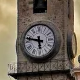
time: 5:47
